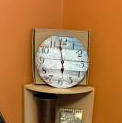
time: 5:58
